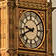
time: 9:41
